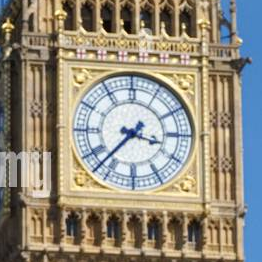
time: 3:37
